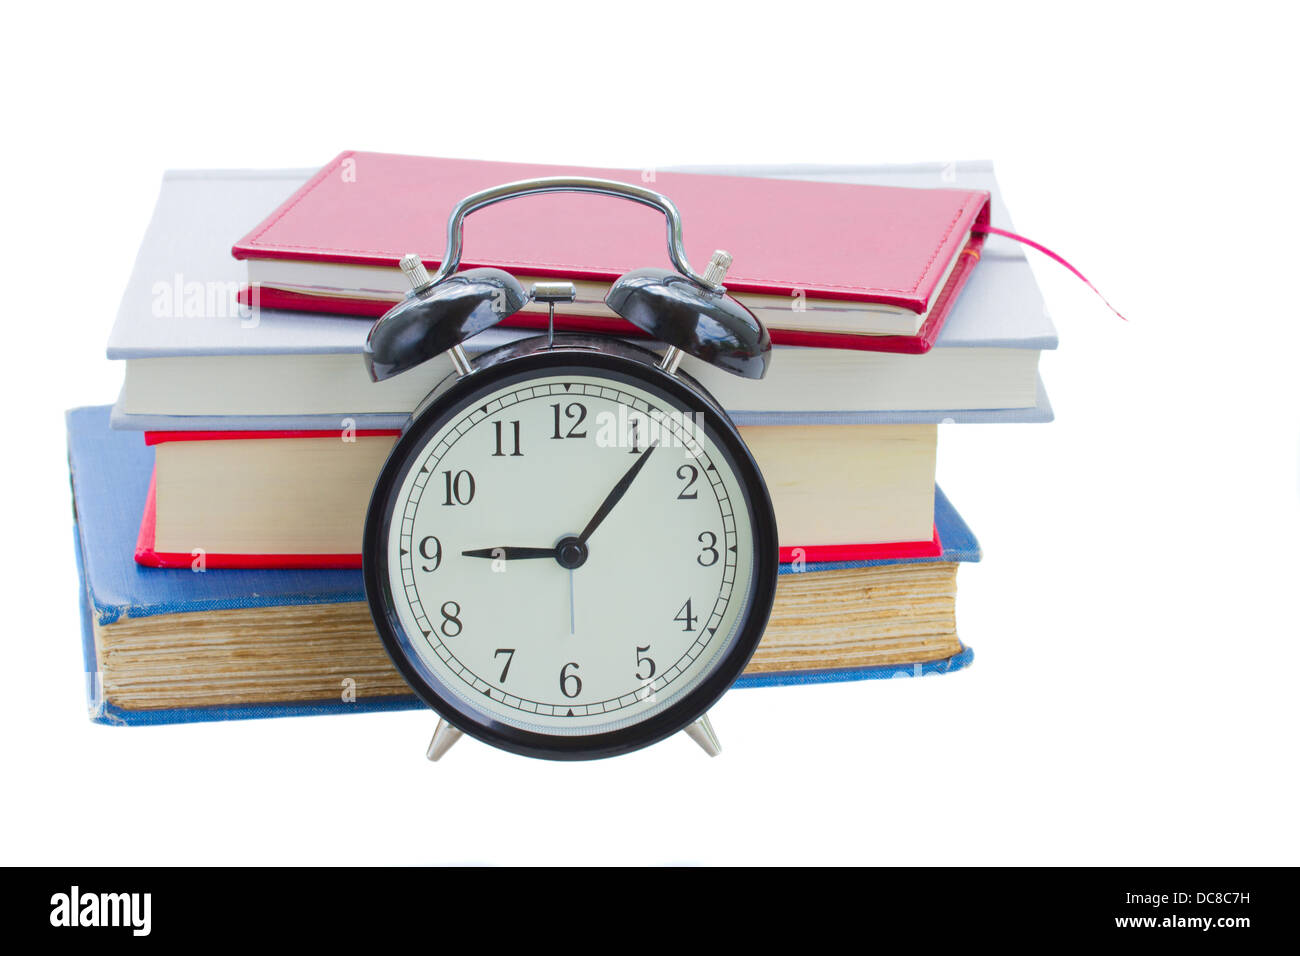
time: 9:06
